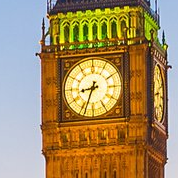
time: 8:33
